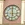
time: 5:59
